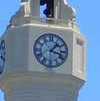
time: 1:18
